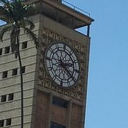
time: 2:21
